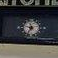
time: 9:35
